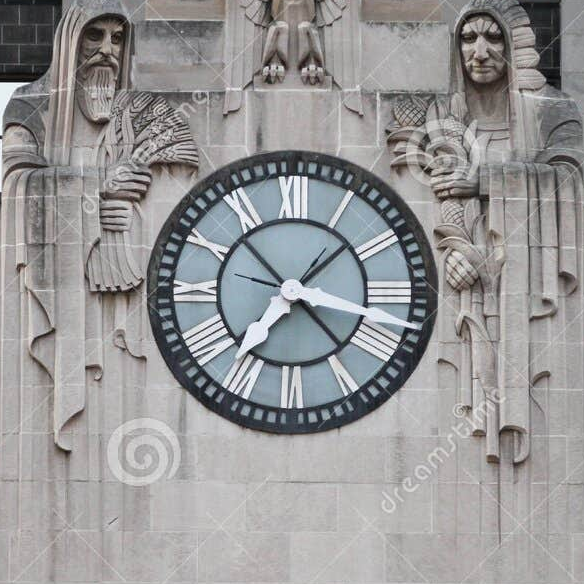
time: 7:17
